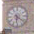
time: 6:21
